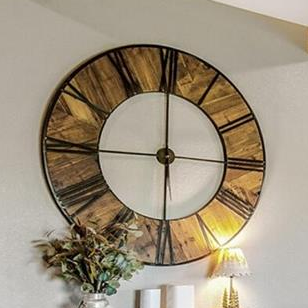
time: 5:59
